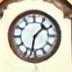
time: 1:32
